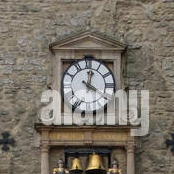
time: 4:02
